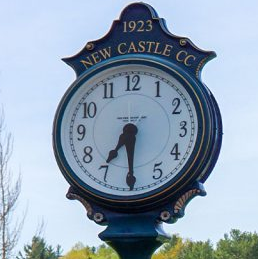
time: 7:30
